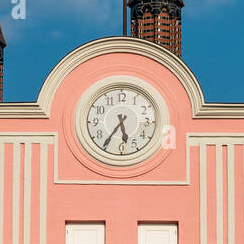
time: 5:35
